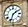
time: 1:33
